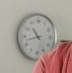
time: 10:42
